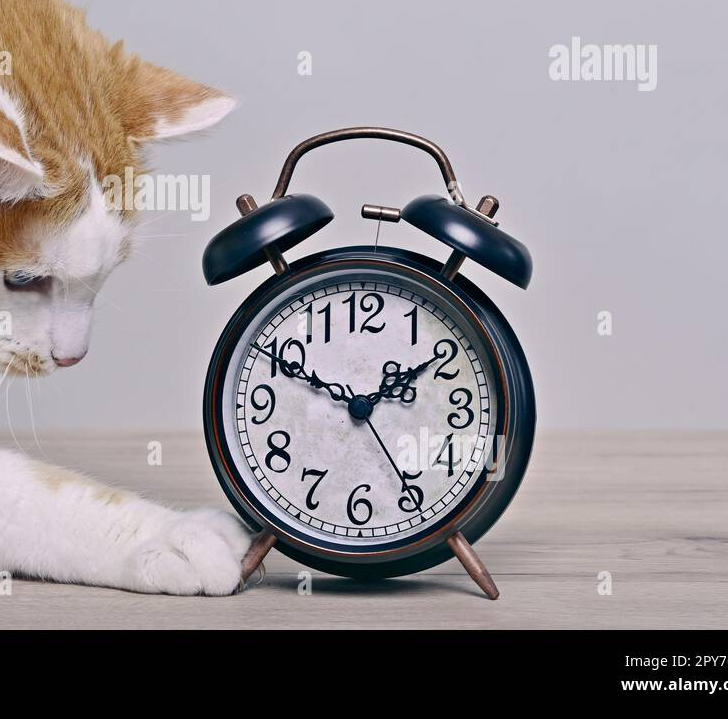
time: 1:49
